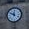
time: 11:49
